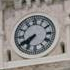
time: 7:40
